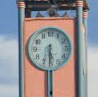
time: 5:30
